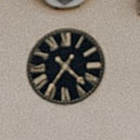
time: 4:35
